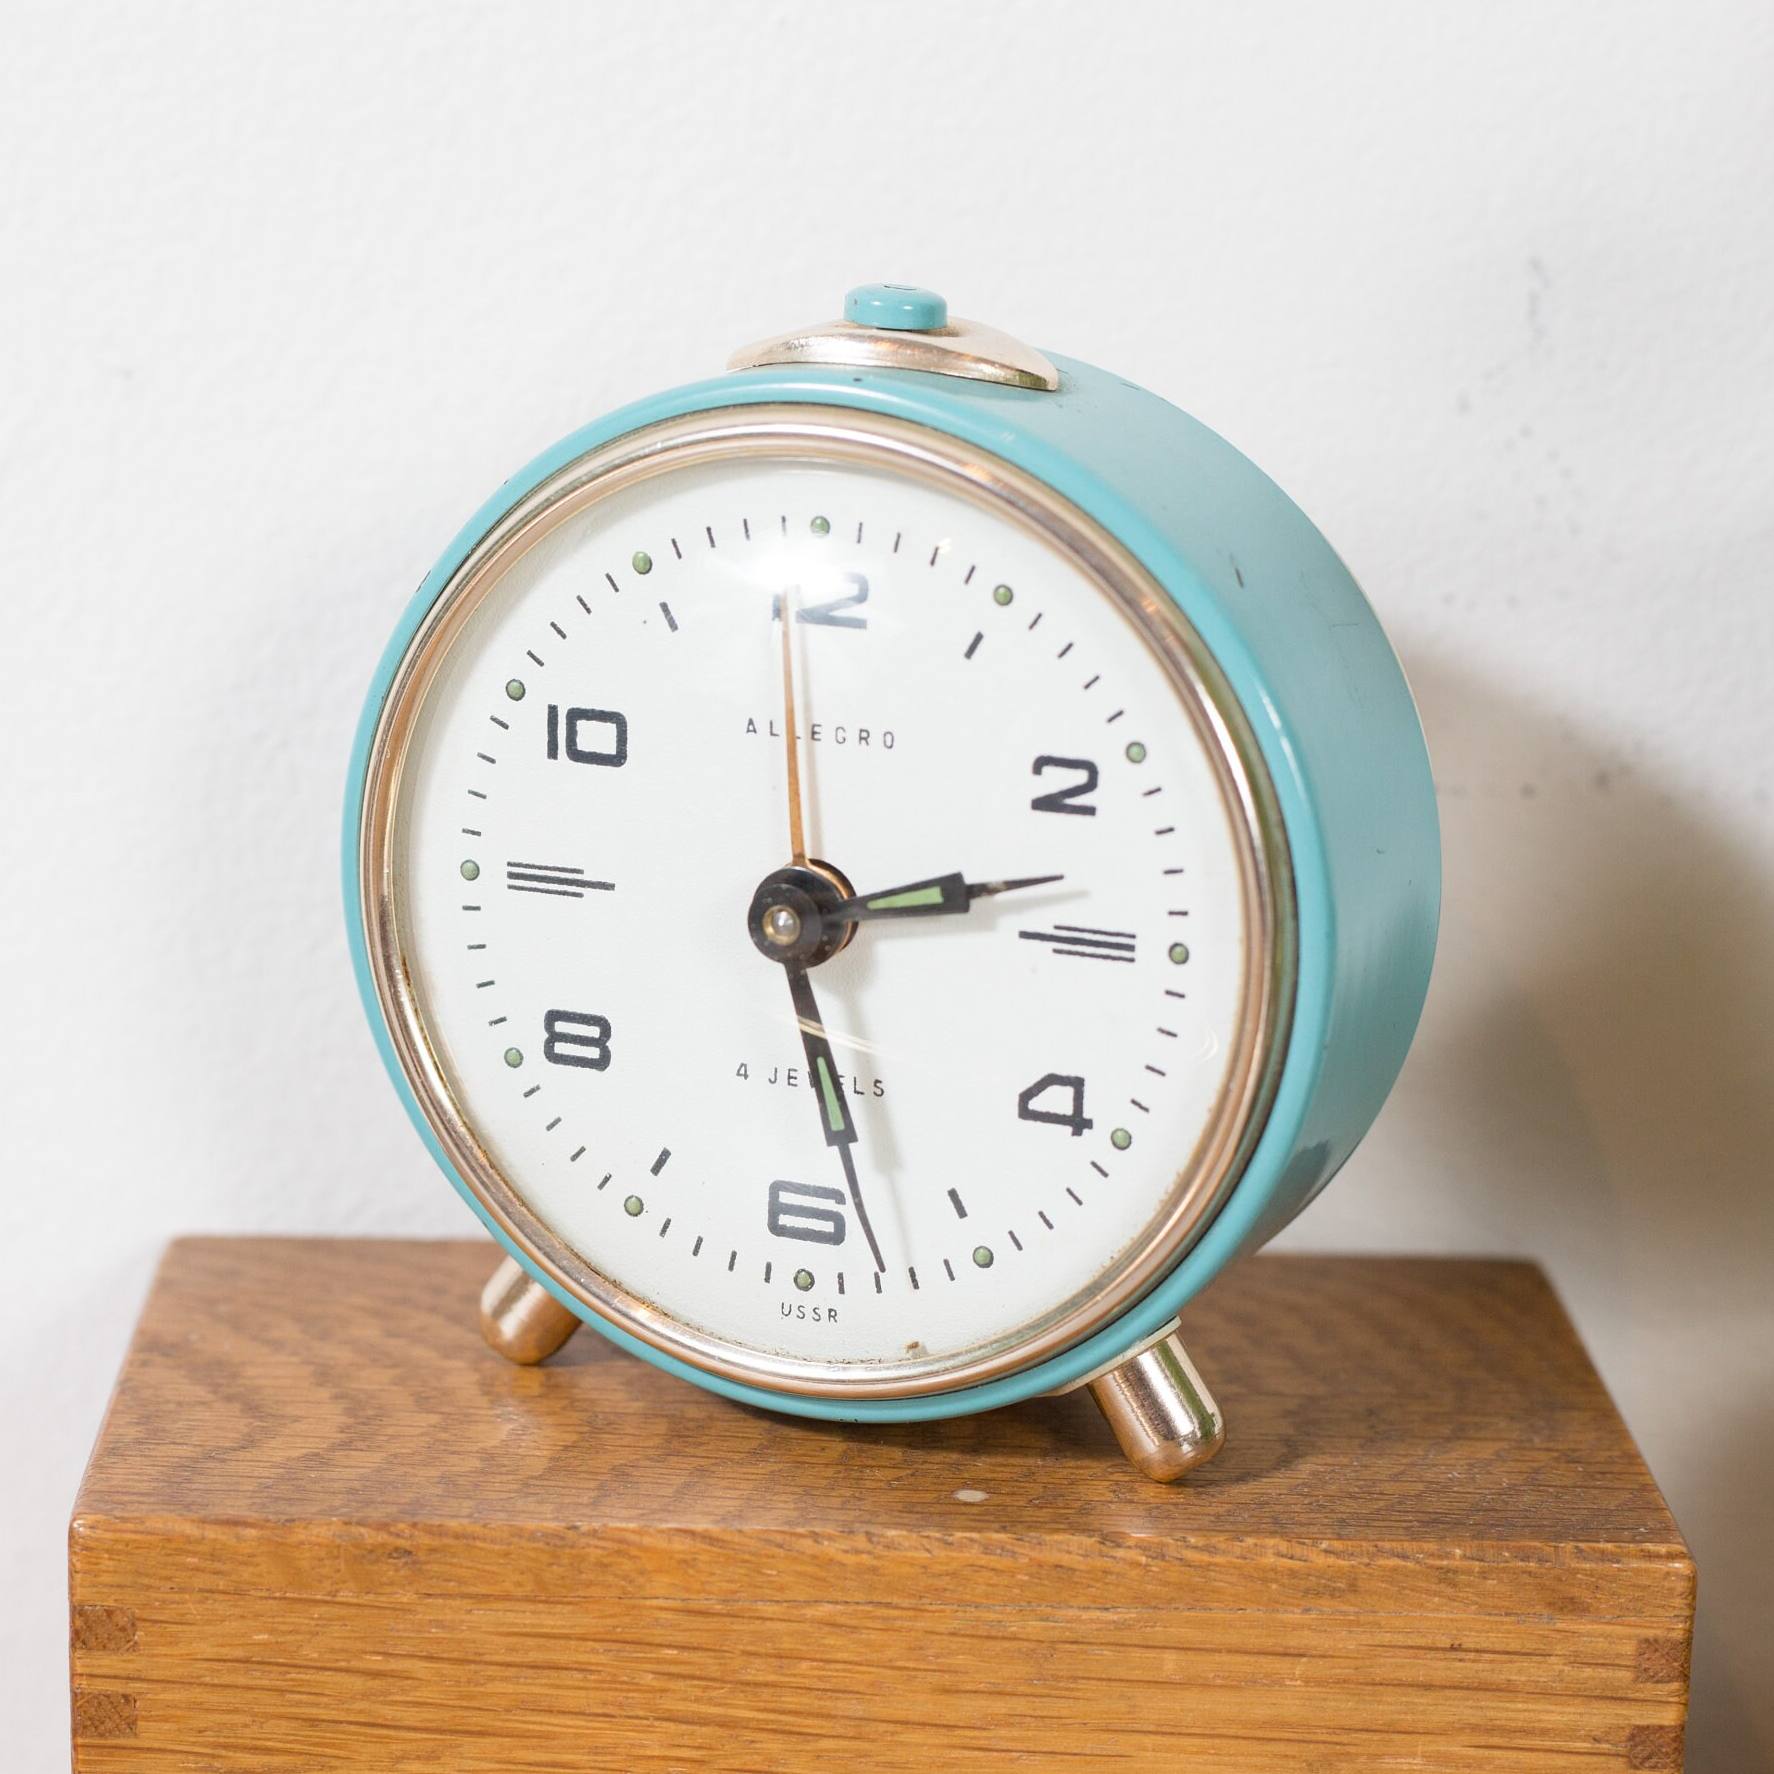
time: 2:27
